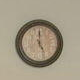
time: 5:00
